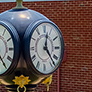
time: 12:23
